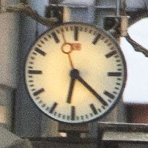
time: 6:22
